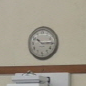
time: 10:14
